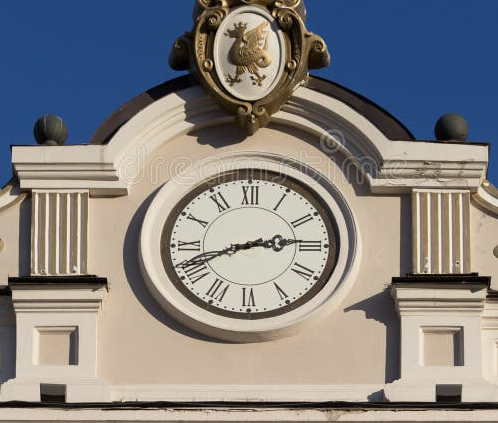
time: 2:41
